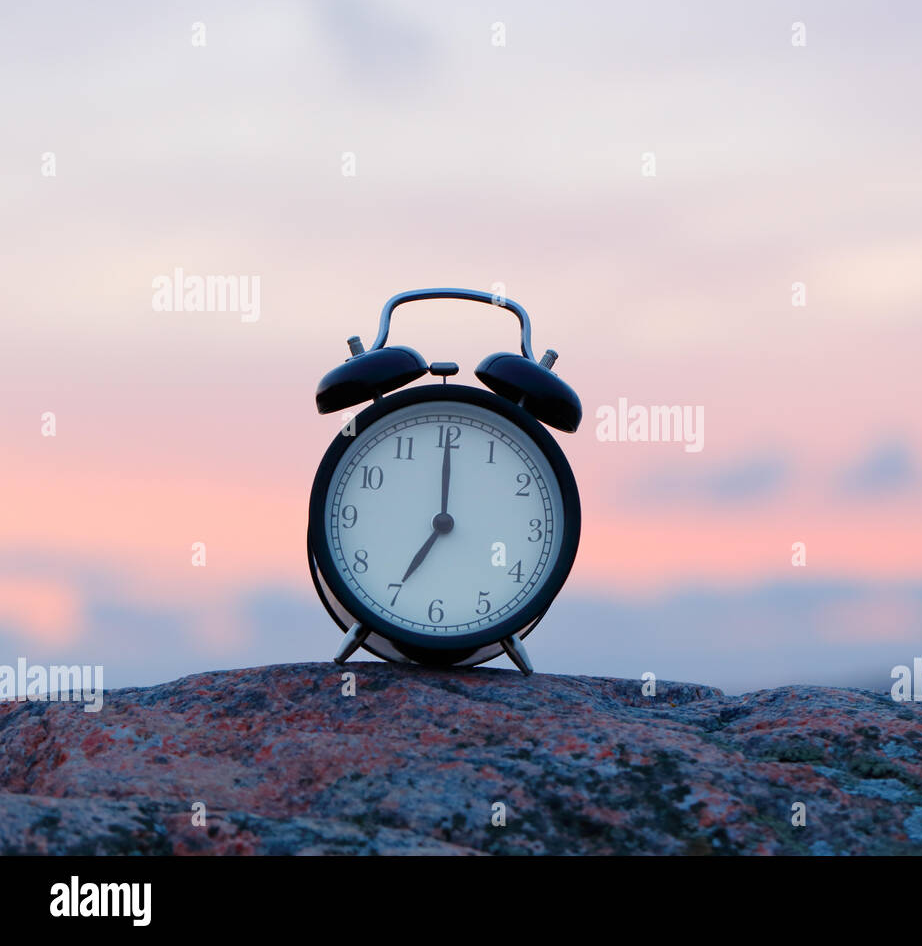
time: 7:00
